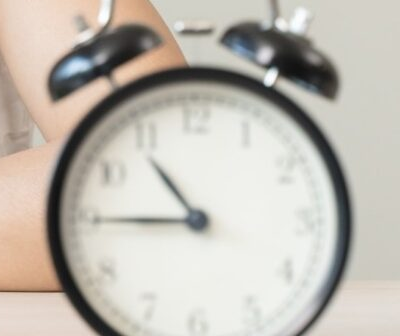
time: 10:45
